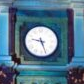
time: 9:26
